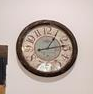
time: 1:13
